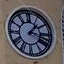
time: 1:18
